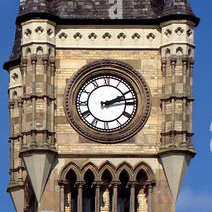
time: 2:13
